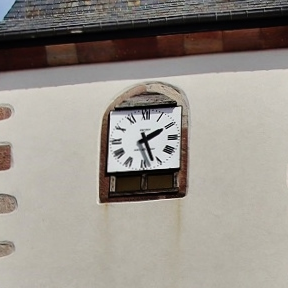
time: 2:26
